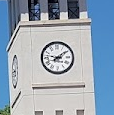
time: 3:09
